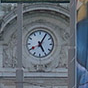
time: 5:05
